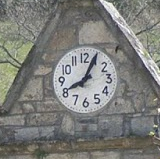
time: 8:04
